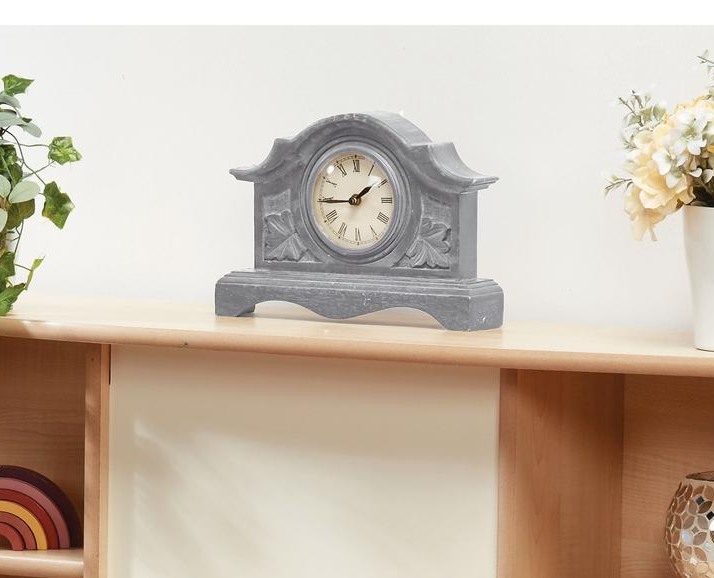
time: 1:43
